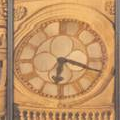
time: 6:18
